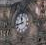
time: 11:42
